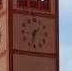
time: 1:32
